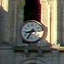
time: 8:35
